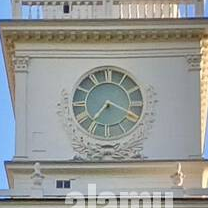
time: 7:18
